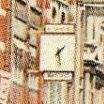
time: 1:28
